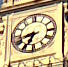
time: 8:34
